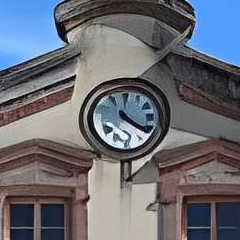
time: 4:21
